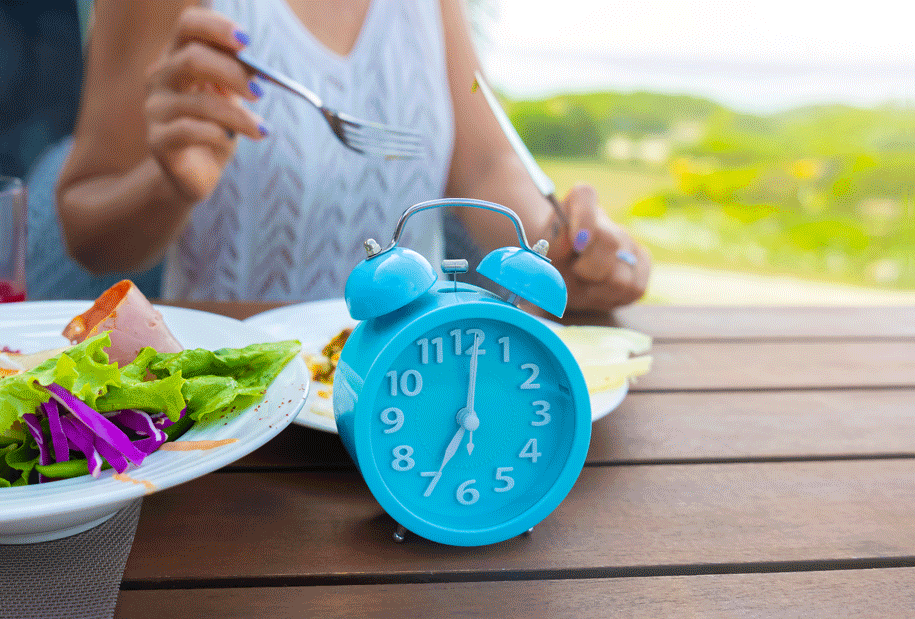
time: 7:01
